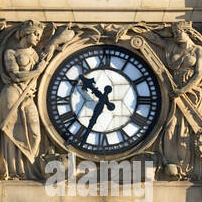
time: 10:34
